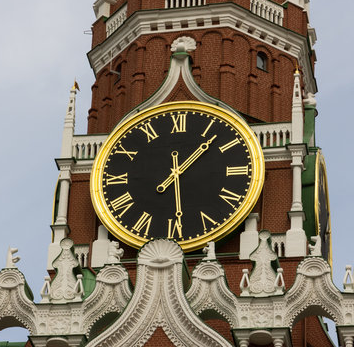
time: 1:29
